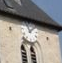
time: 11:07
